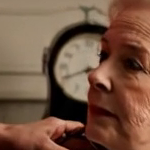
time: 12:40
